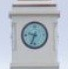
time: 9:34
